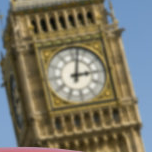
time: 3:02
